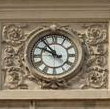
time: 9:53
